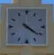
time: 4:21
